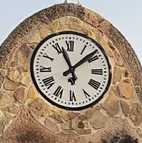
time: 11:08
